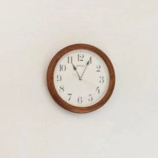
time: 11:04
